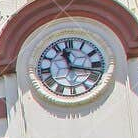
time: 11:17
